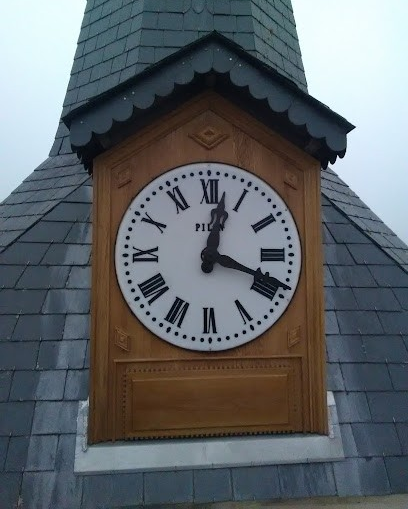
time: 12:18
